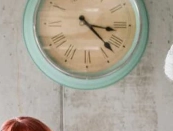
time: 3:22
